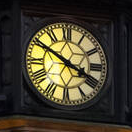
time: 3:50
